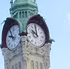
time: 9:59
